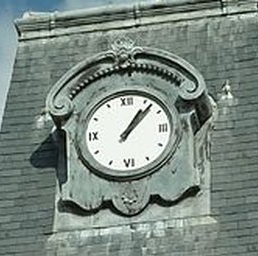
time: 1:07
